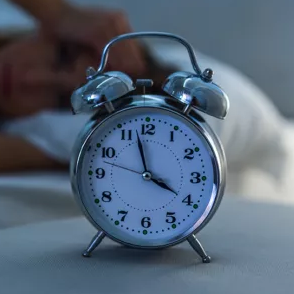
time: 3:57
